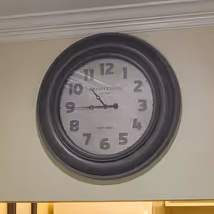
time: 10:44
